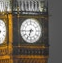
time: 6:44
